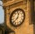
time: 12:38
